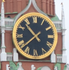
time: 10:37
